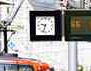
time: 9:33
